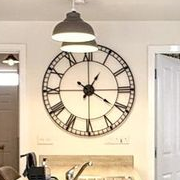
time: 1:20
